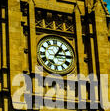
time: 1:14
